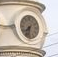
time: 7:32
